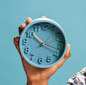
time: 10:17
